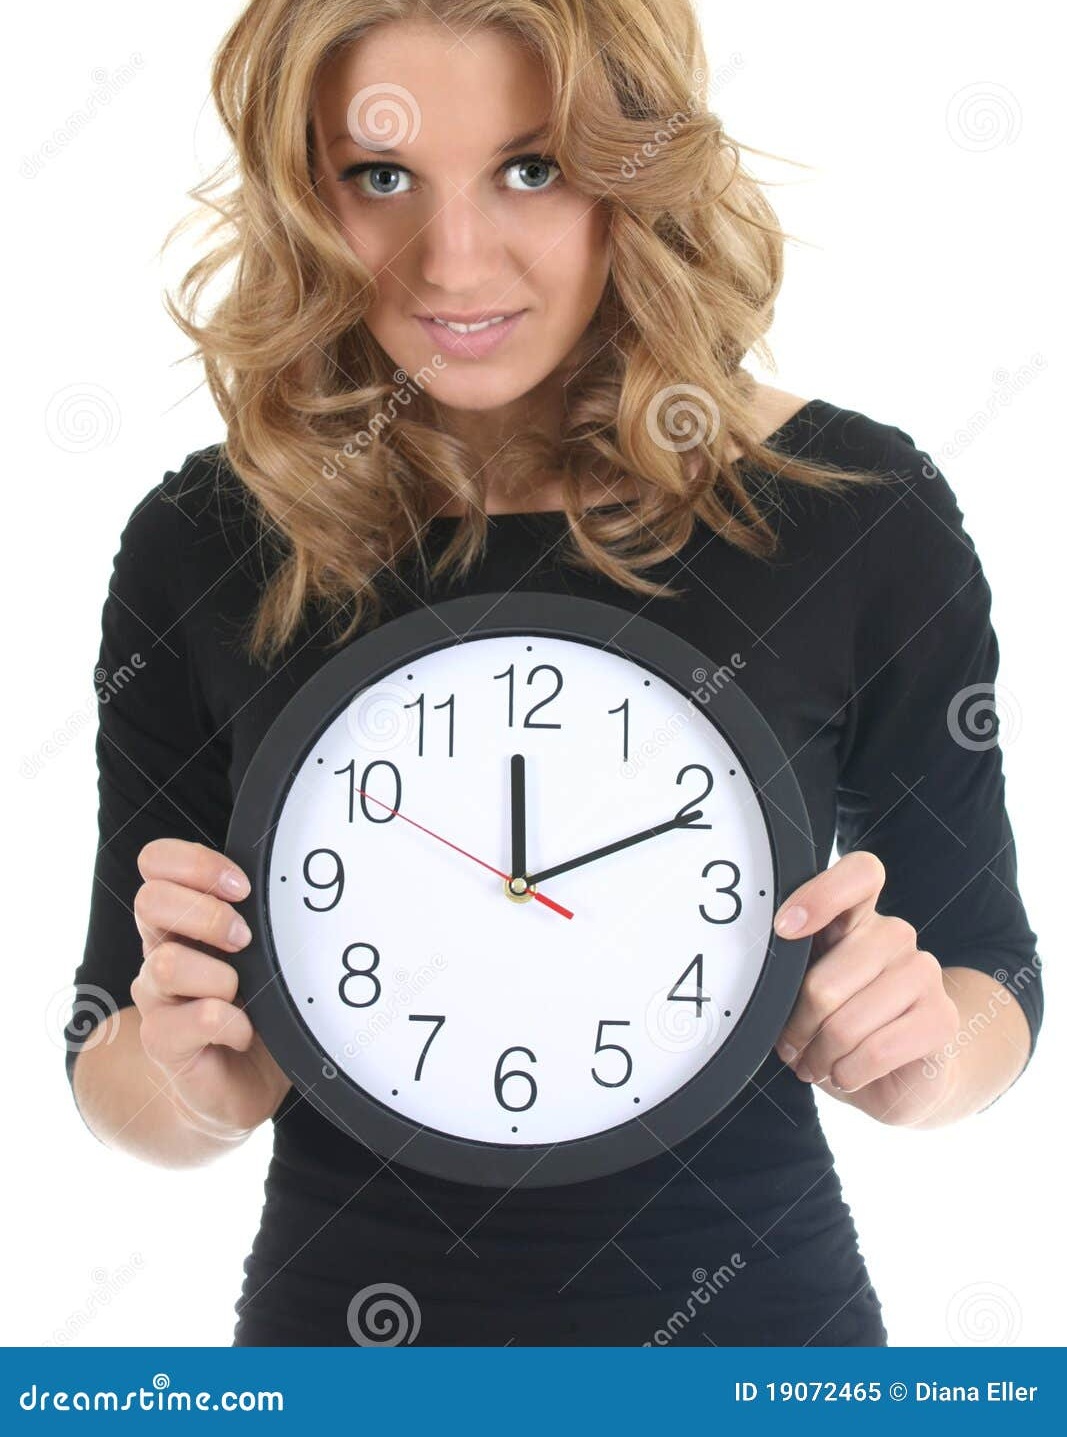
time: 12:10
